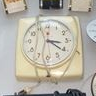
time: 3:21
